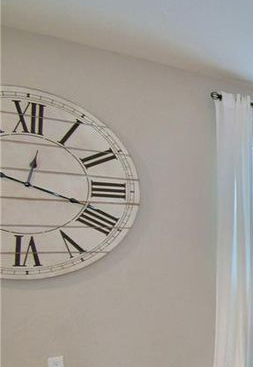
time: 12:18
